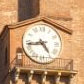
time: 4:43
